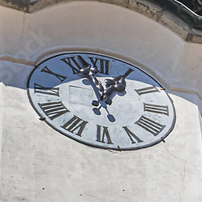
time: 12:57
